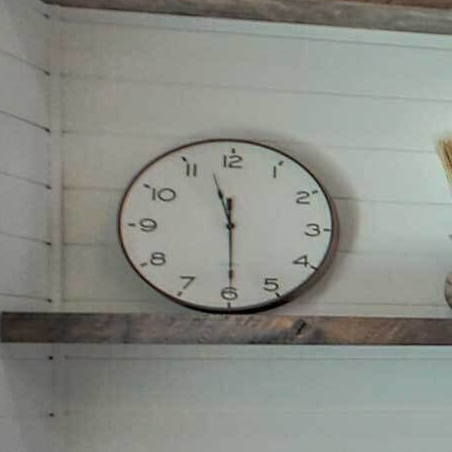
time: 11:29
